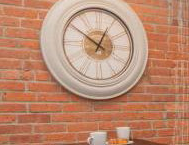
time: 12:50
